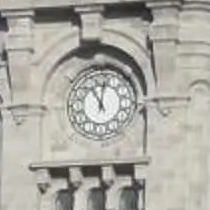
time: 11:02
